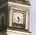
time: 4:29
